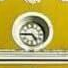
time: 4:44
